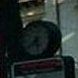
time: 5:38
